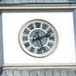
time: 2:26
